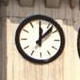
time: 12:07
